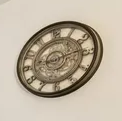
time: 9:13
